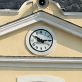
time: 10:14
